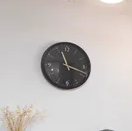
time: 11:18
